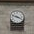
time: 3:48
